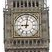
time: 9:01
